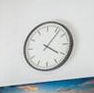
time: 4:06
